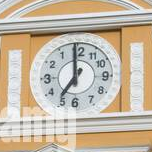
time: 6:59
